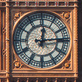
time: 12:14
